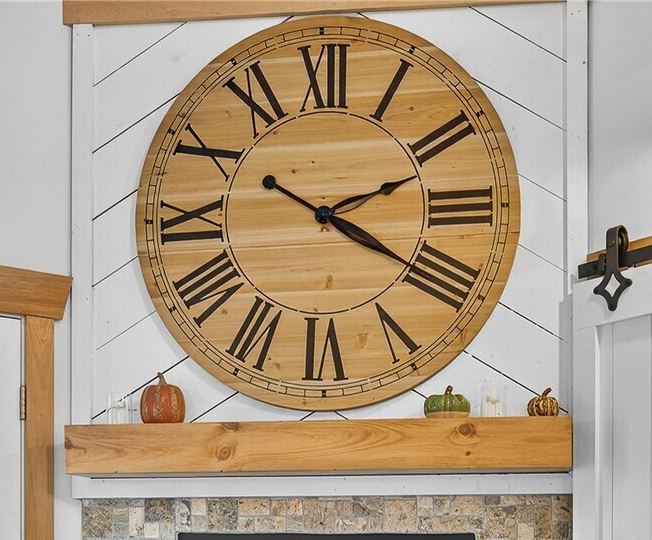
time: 2:20
